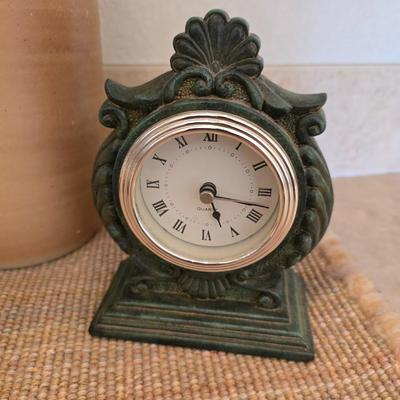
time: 5:17
